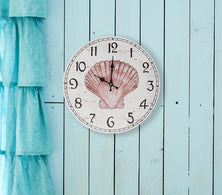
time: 10:00
